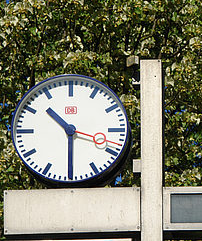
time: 10:30
